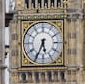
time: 5:34
